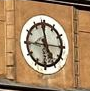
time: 11:45
